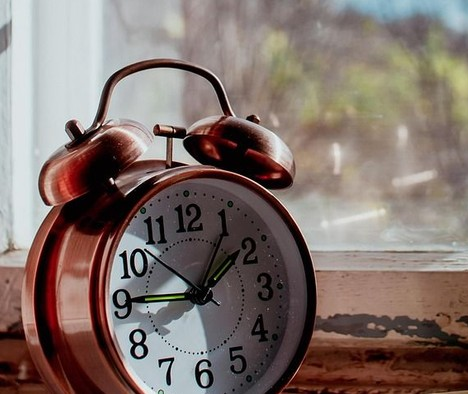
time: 1:09
